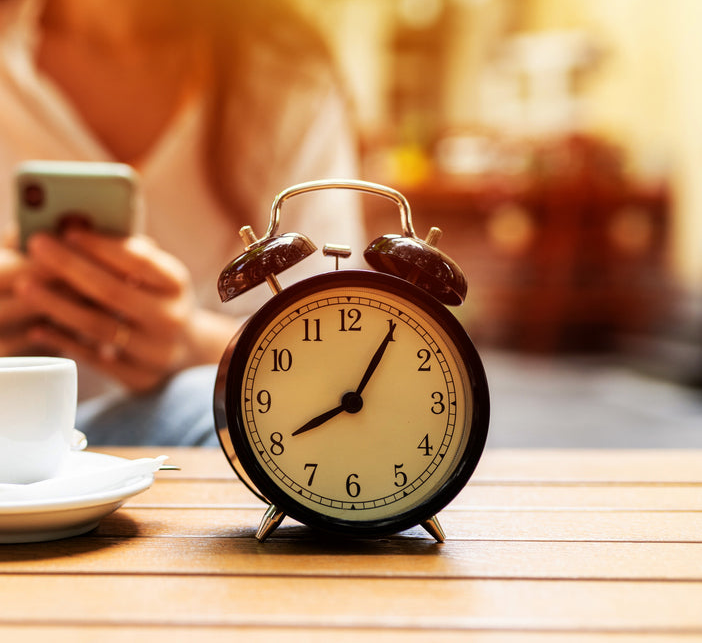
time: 8:05
